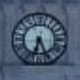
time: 6:25
